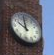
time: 9:59
